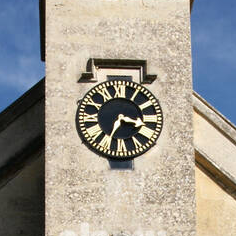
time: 3:34
